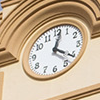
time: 12:20
